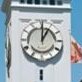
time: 1:00
